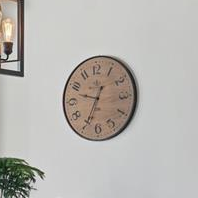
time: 9:34
